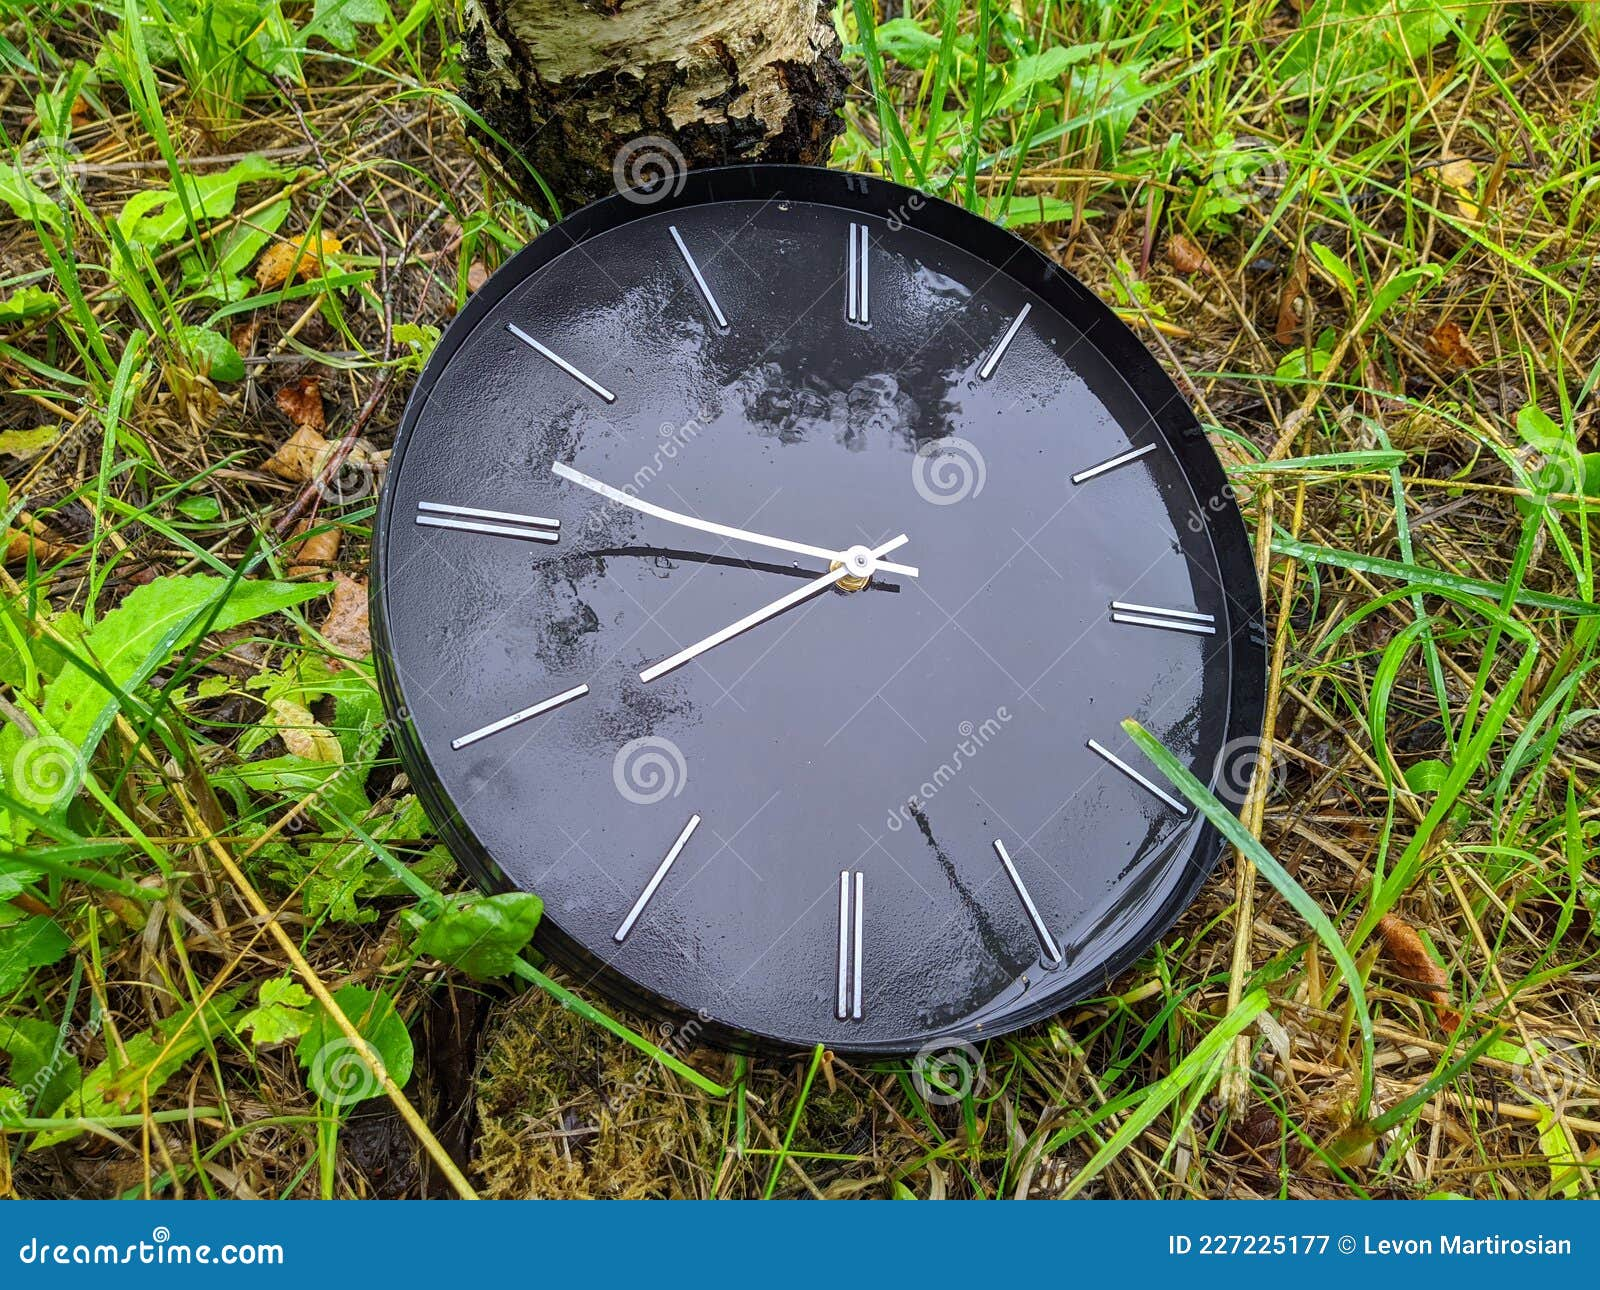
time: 8:46
